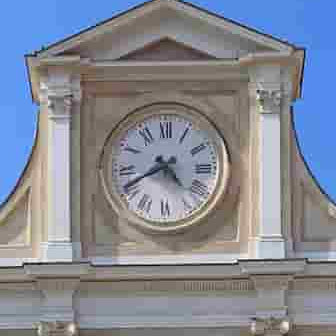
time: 4:40
